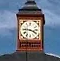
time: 3:46
